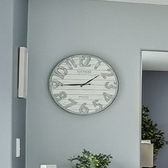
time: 1:44
